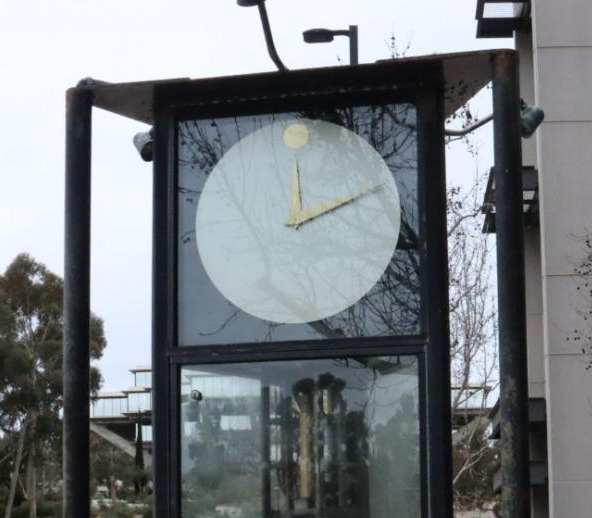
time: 12:10
